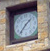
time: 1:36
